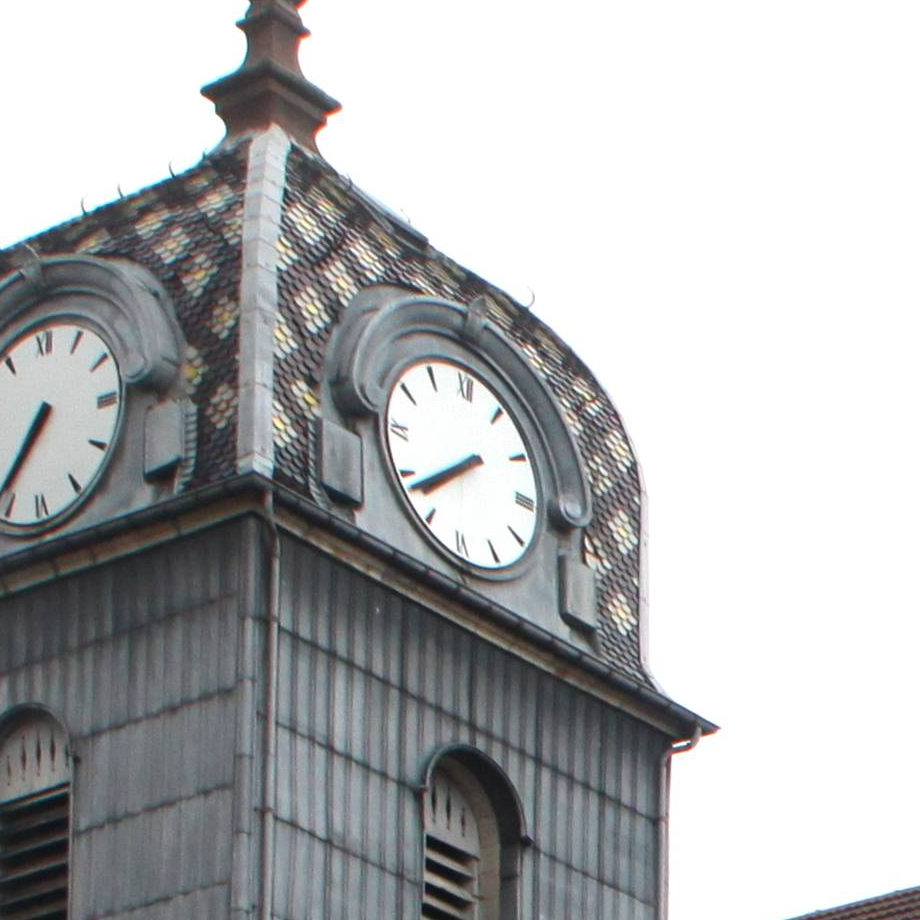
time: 7:38
